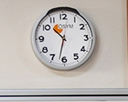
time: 10:32
